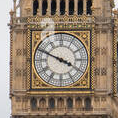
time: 3:48
